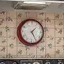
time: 1:24
